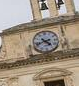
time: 4:41
